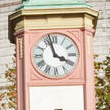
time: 3:57
